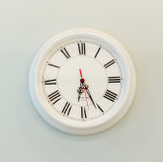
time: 6:25
